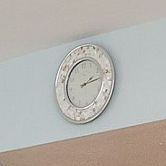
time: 2:13
